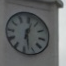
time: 12:27
